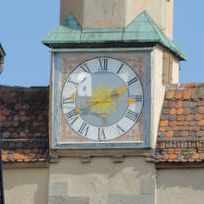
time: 2:15
